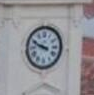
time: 9:48
